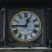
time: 12:45
